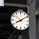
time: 8:09
